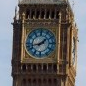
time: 1:42
